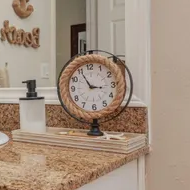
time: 2:55
